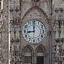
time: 8:59
